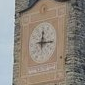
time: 12:14
